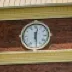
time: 12:28
